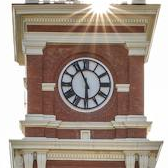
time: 5:55
